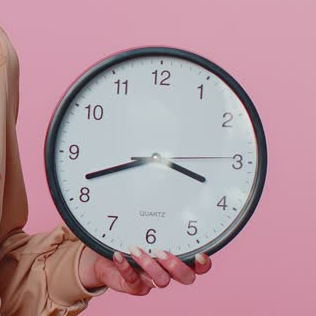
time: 3:41
